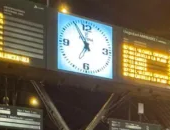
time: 6:55
